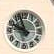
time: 9:56
